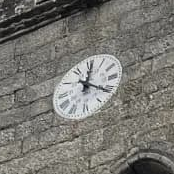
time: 12:20
